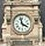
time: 3:57
